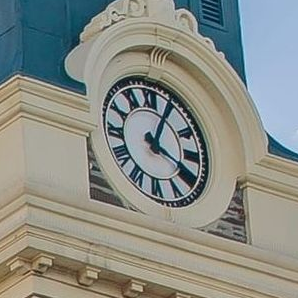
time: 4:04
